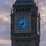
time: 8:35
